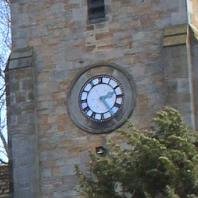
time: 2:24
